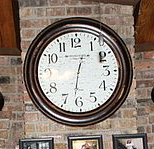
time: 12:31
